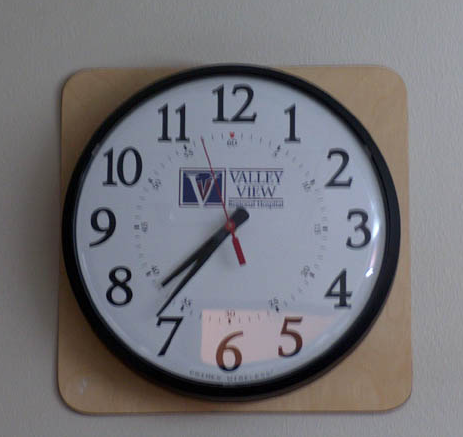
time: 7:36
